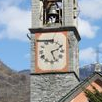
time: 2:26
